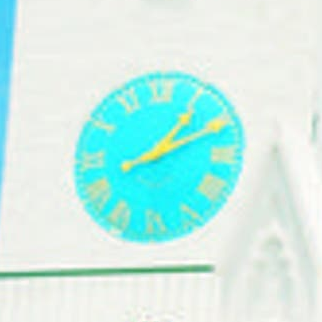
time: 1:10
